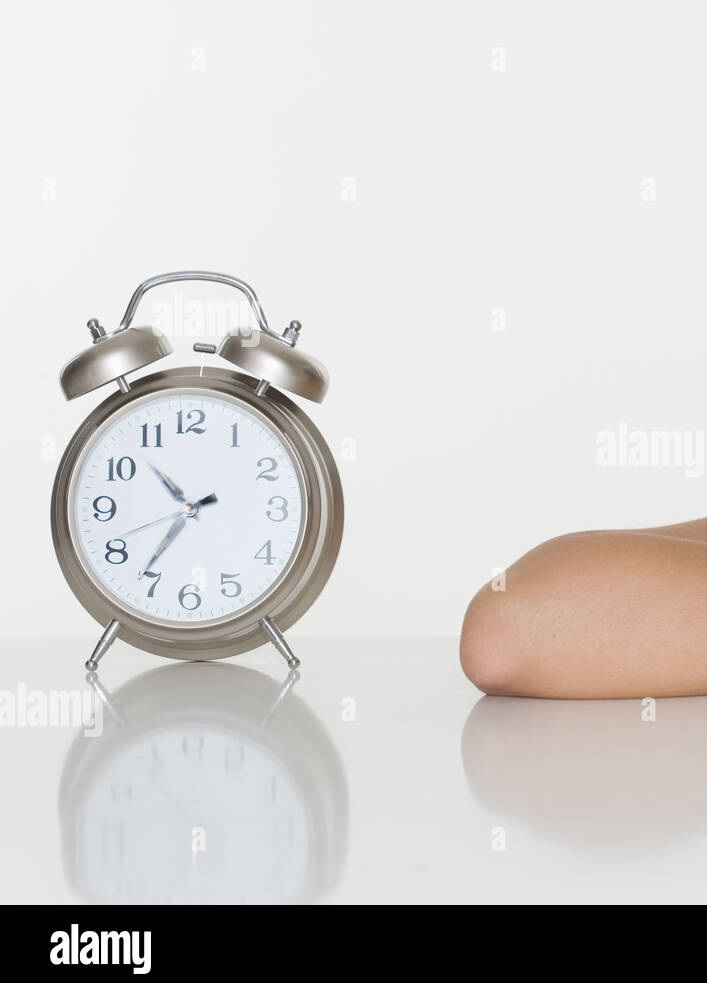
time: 10:36
